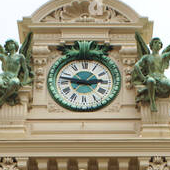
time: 2:47
